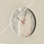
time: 10:02
